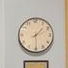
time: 1:30
